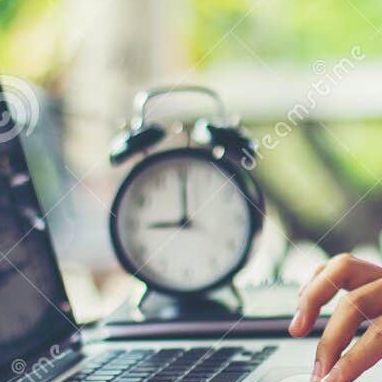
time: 9:00
